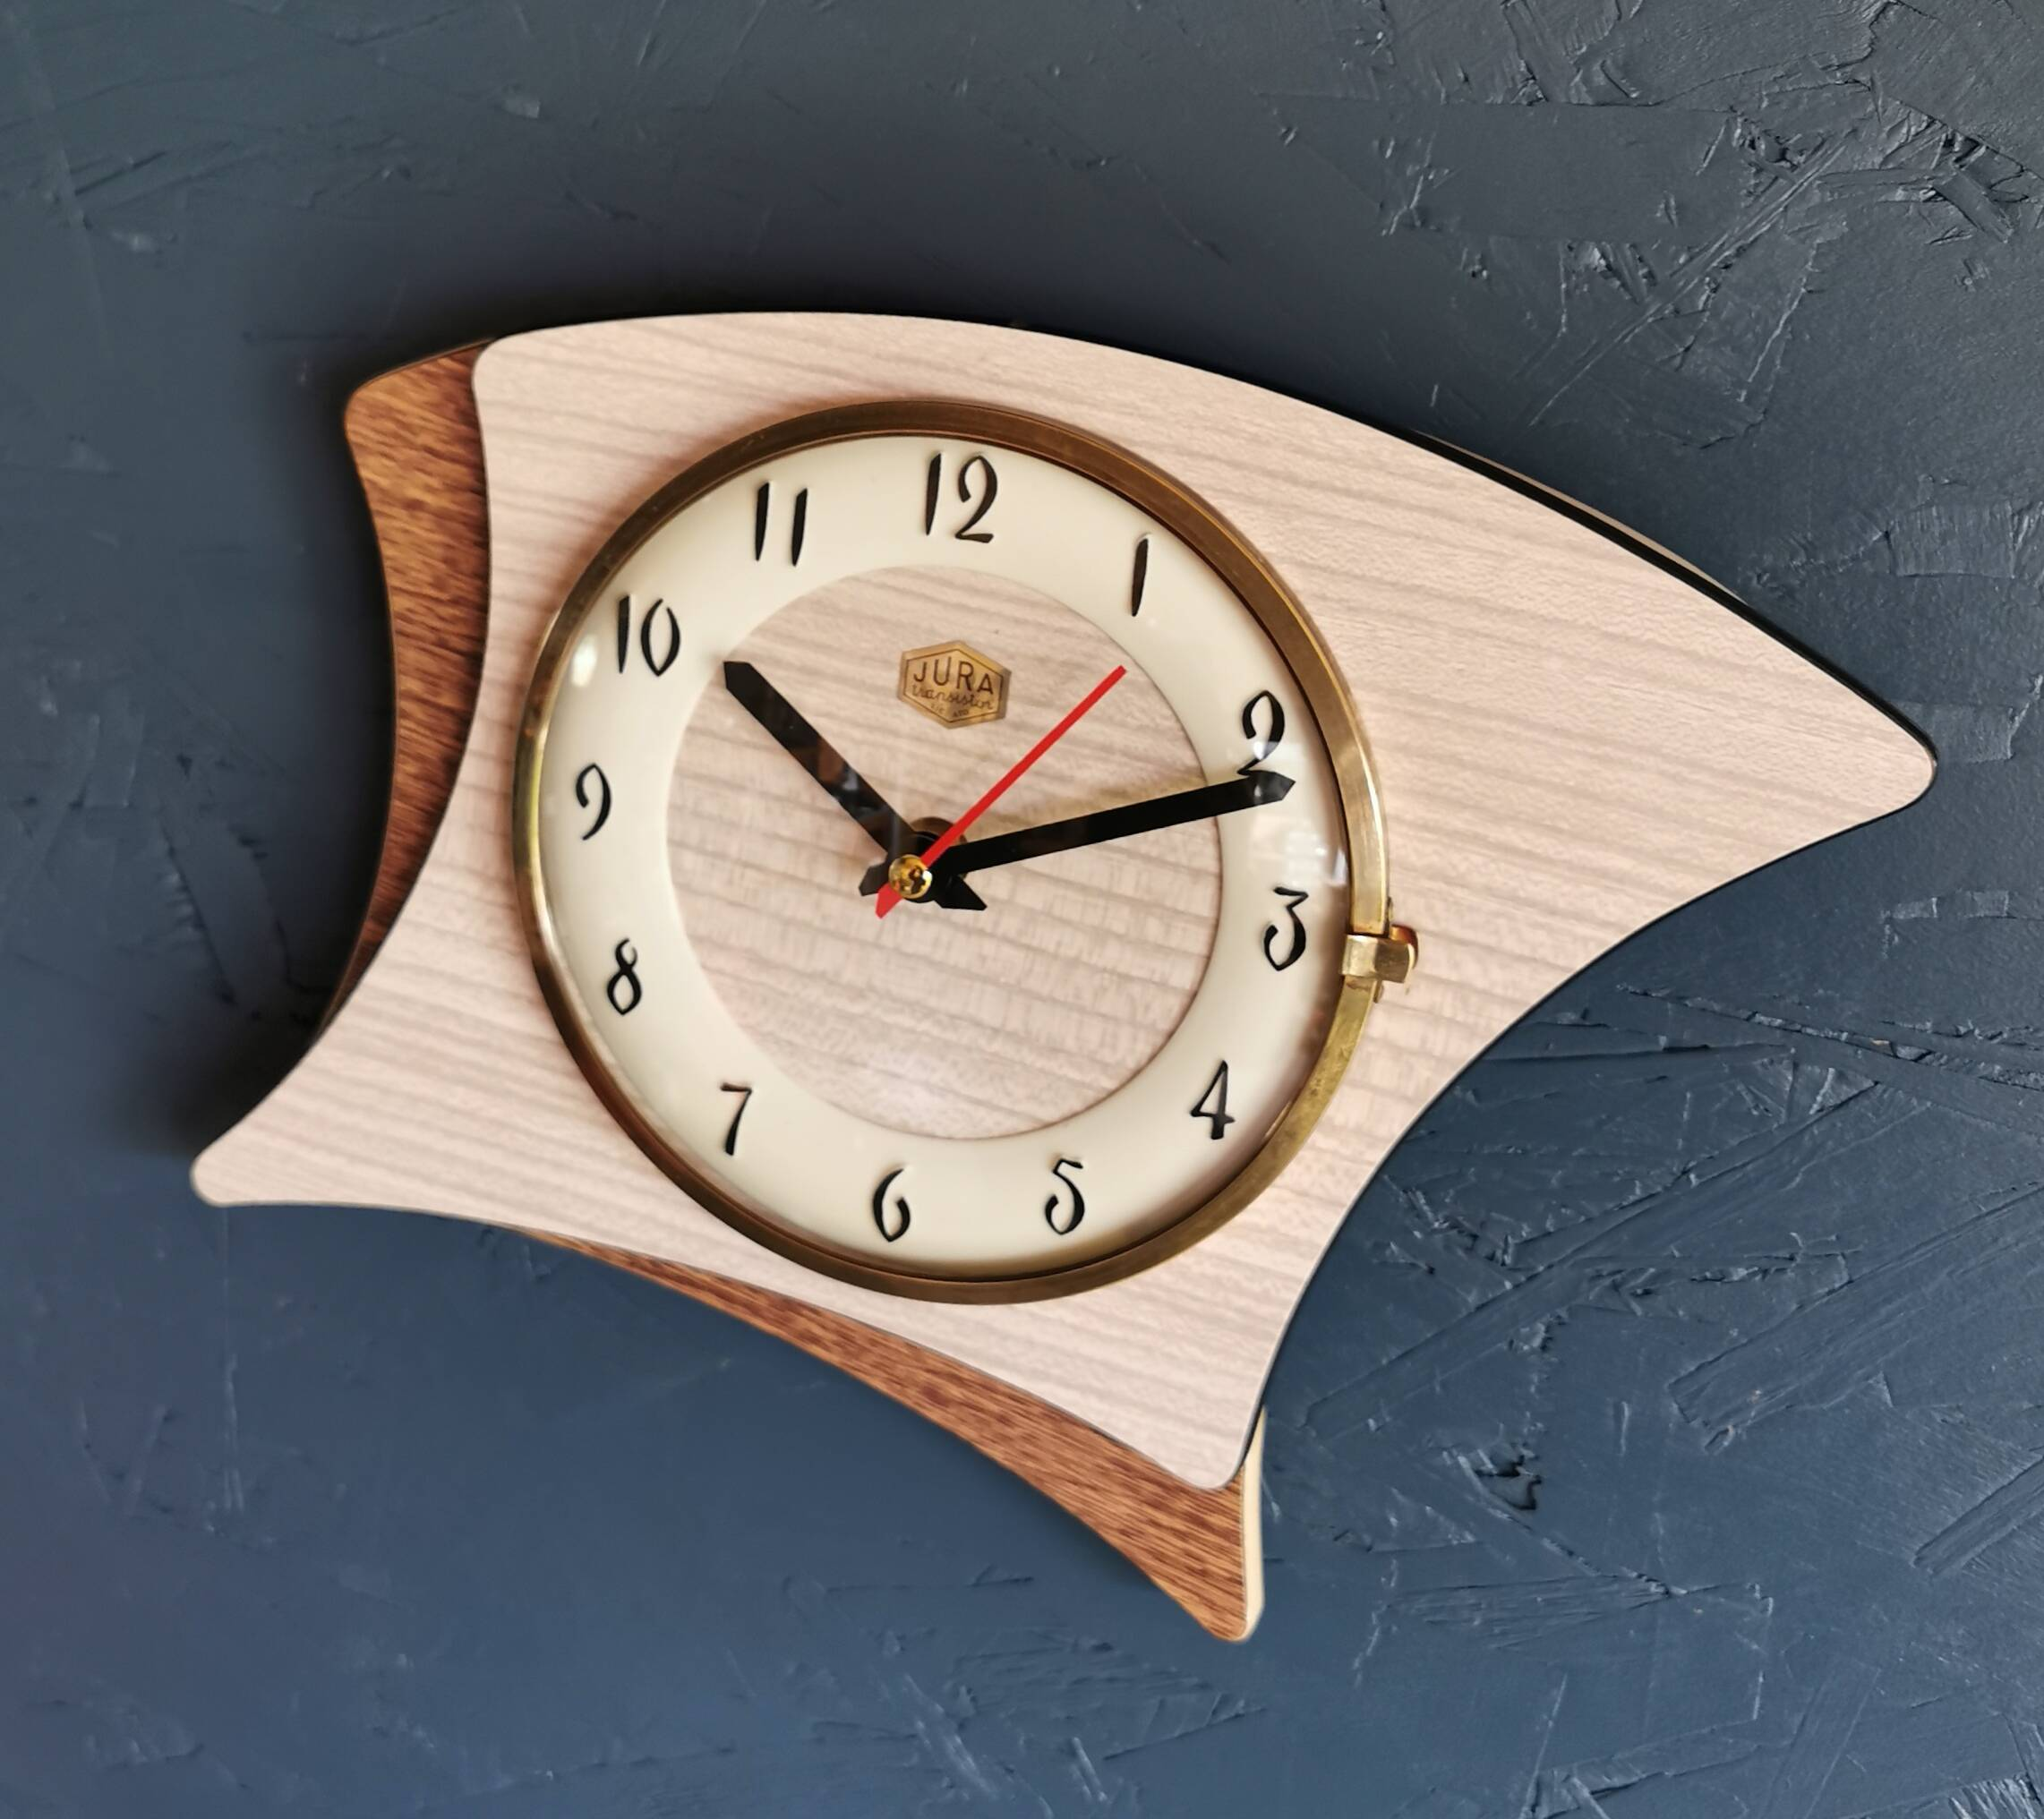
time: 10:11
